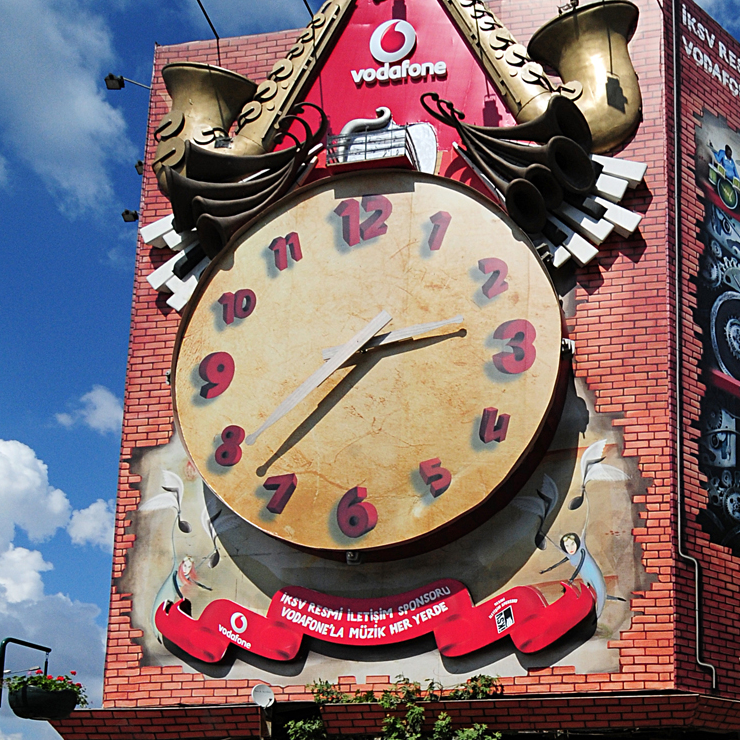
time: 2:37
